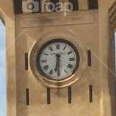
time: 6:29
